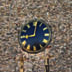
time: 9:01
